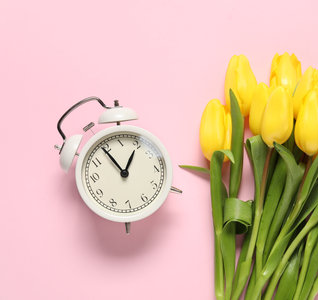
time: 12:54
